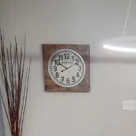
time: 10:10
